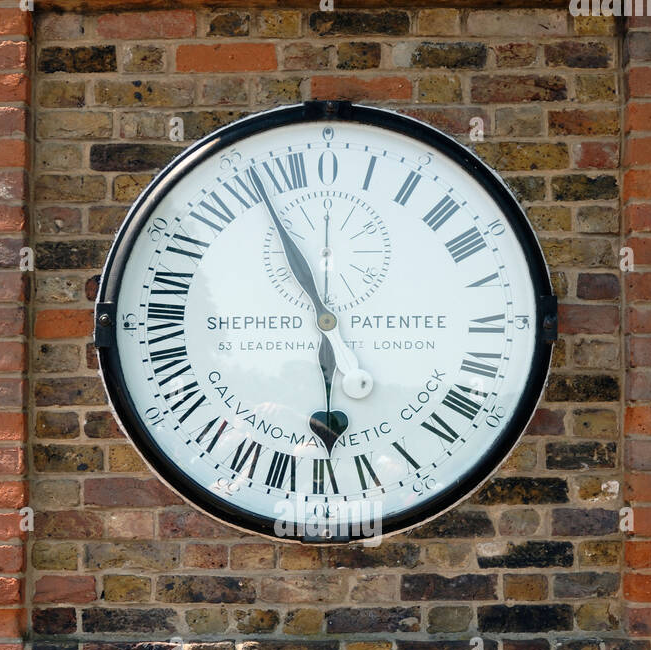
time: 5:55
